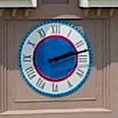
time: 2:12
